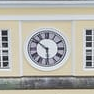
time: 5:51
